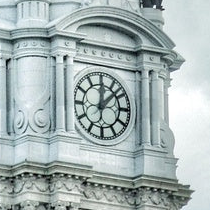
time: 12:07
